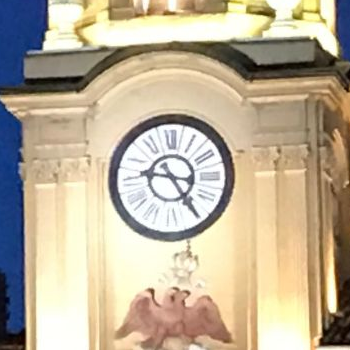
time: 9:24
